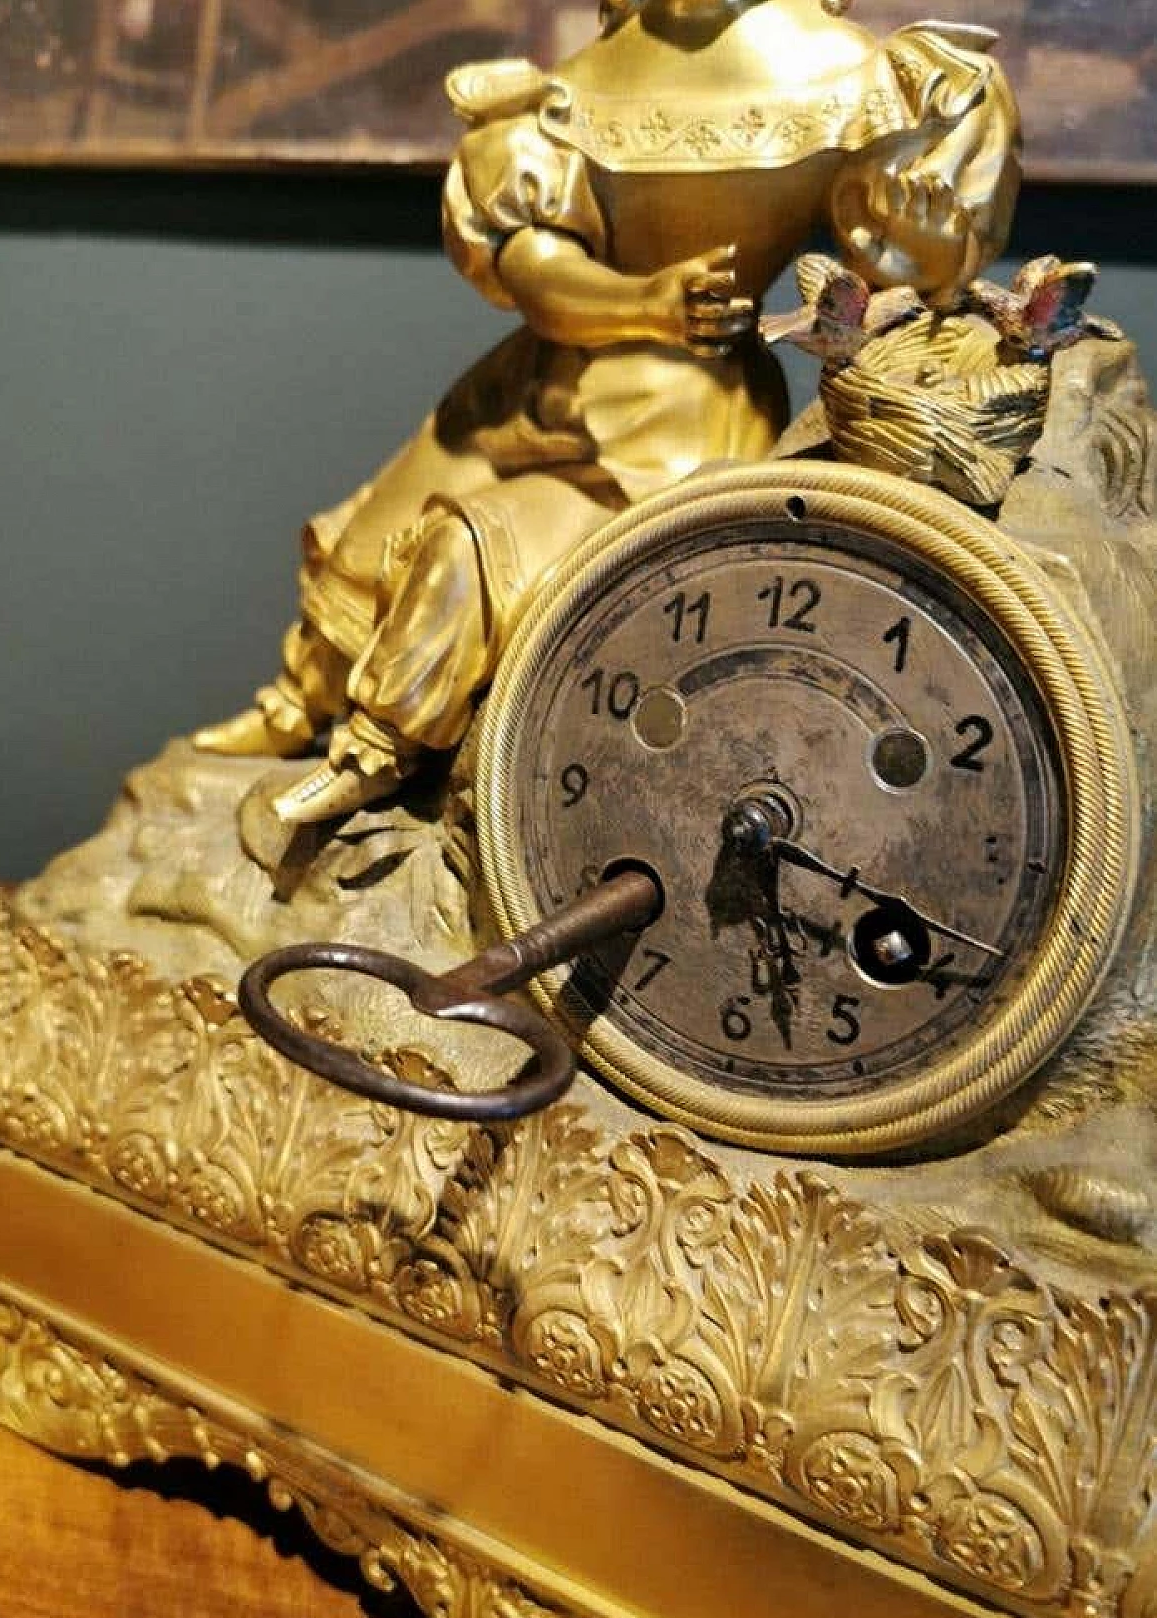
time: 5:18
